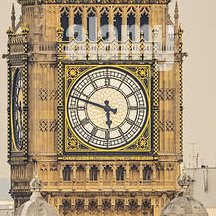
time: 5:47
